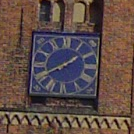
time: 1:40
